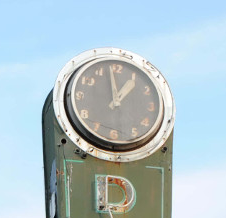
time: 12:58
